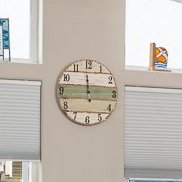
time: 11:59
